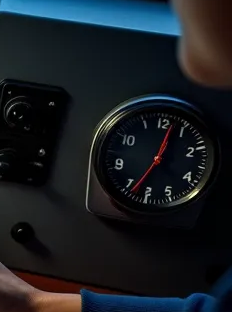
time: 12:33
